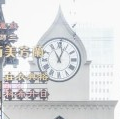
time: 12:55
